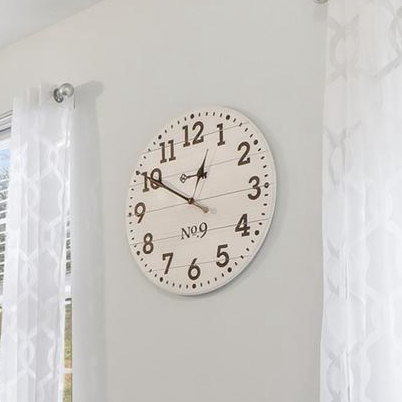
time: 12:50
